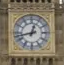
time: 12:42
